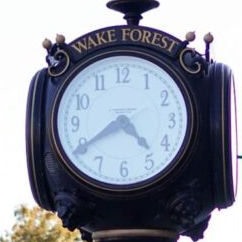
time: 4:39
